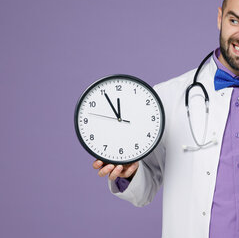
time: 11:55
